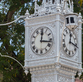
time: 12:16
